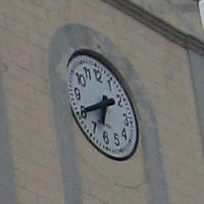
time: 6:40
